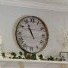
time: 10:55
